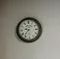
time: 9:36
